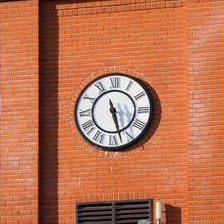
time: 5:27
